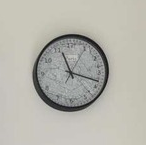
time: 11:18
